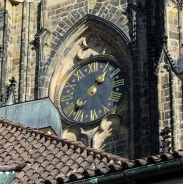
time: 1:37
